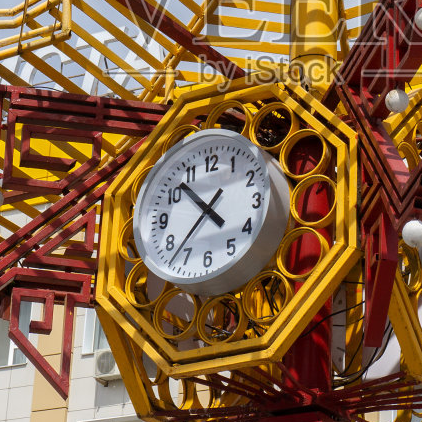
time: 10:37
